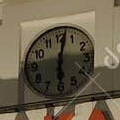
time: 6:01
